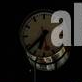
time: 6:38
